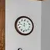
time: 11:46
